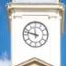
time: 11:47
